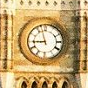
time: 8:57
